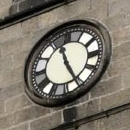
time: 11:25
